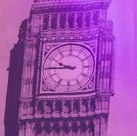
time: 9:44
